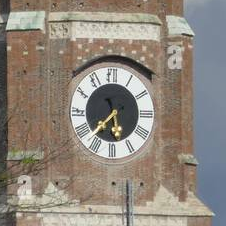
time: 5:37
